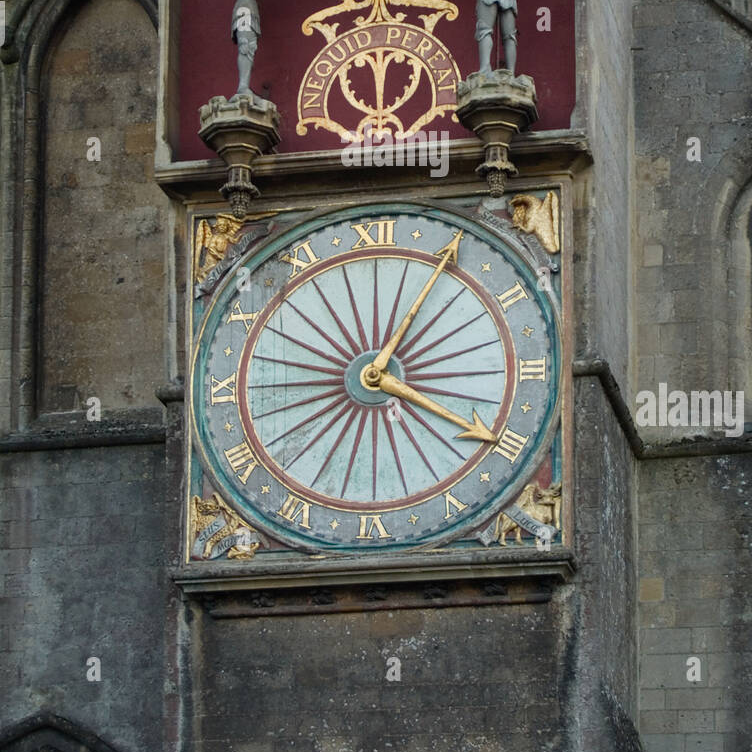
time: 1:20
